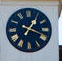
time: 1:18
